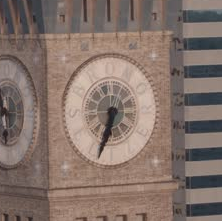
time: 6:33
